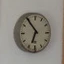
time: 6:54
